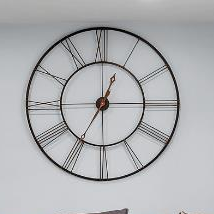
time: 12:35
